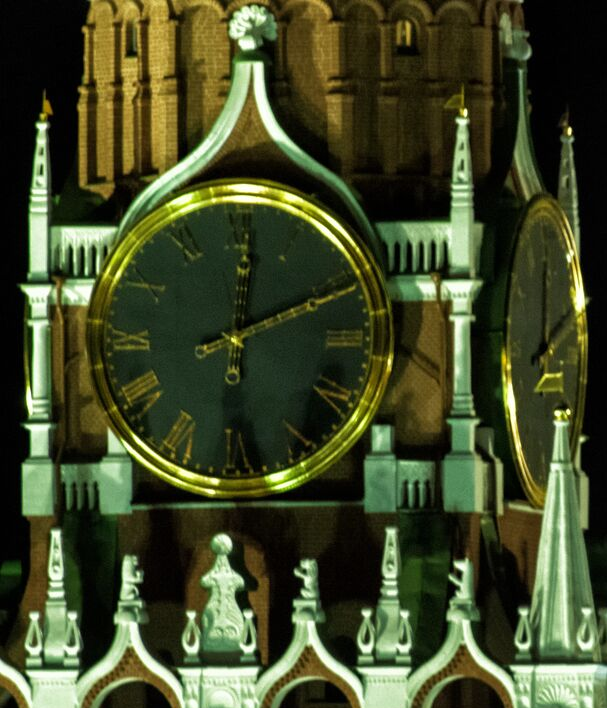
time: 12:11
